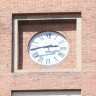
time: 2:44
